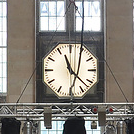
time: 11:22
